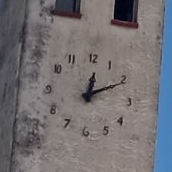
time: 12:10
